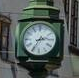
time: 2:35
